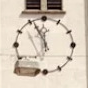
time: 11:55
